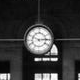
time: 2:48
